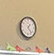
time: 1:23
